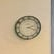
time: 2:18
